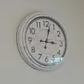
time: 3:02
